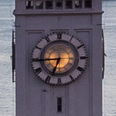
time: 6:44
